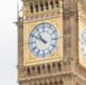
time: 10:50
